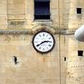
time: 2:40
